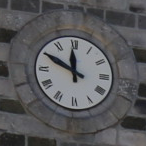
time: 11:49
